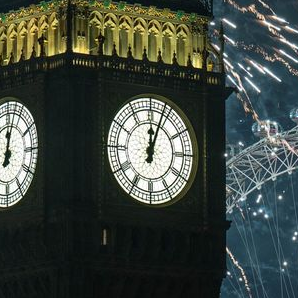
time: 12:03
